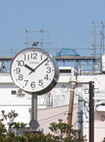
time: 10:07
